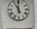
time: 11:00
